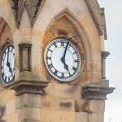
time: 5:03
